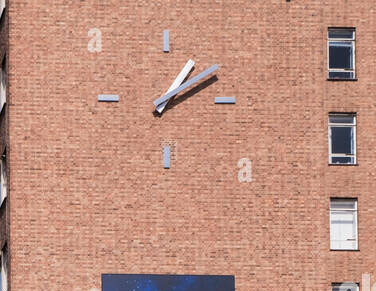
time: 1:09
